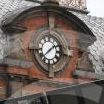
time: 1:37
